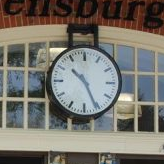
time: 10:25
